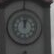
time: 12:02
